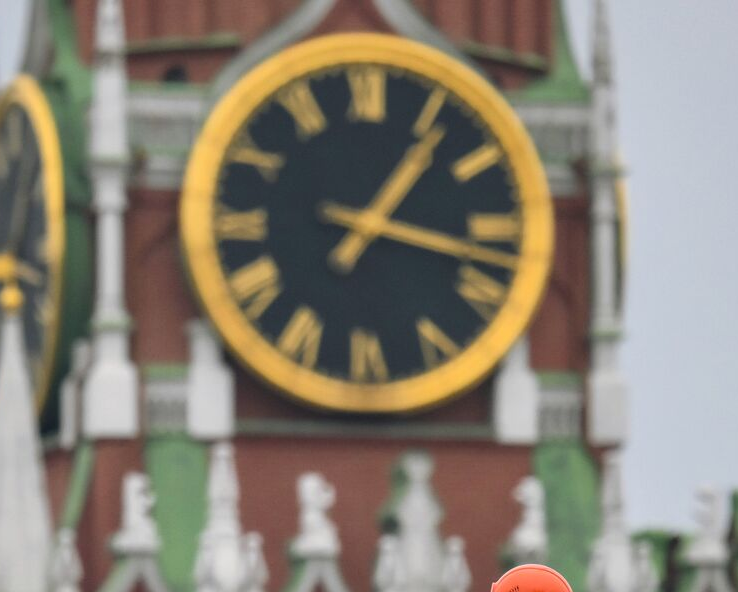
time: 1:17
